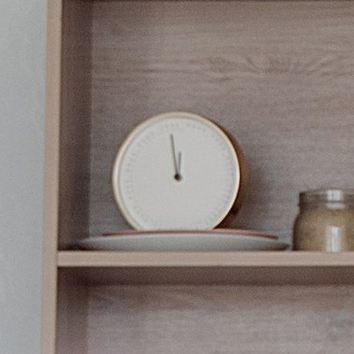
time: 11:57
